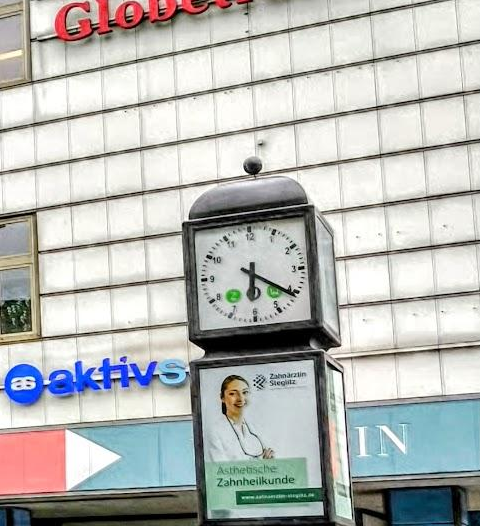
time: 6:20
